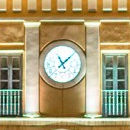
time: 11:07
